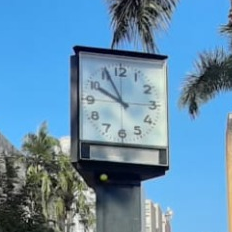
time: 9:55
